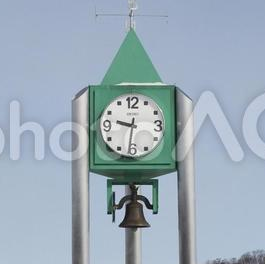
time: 9:31
